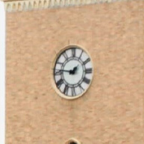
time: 1:46
